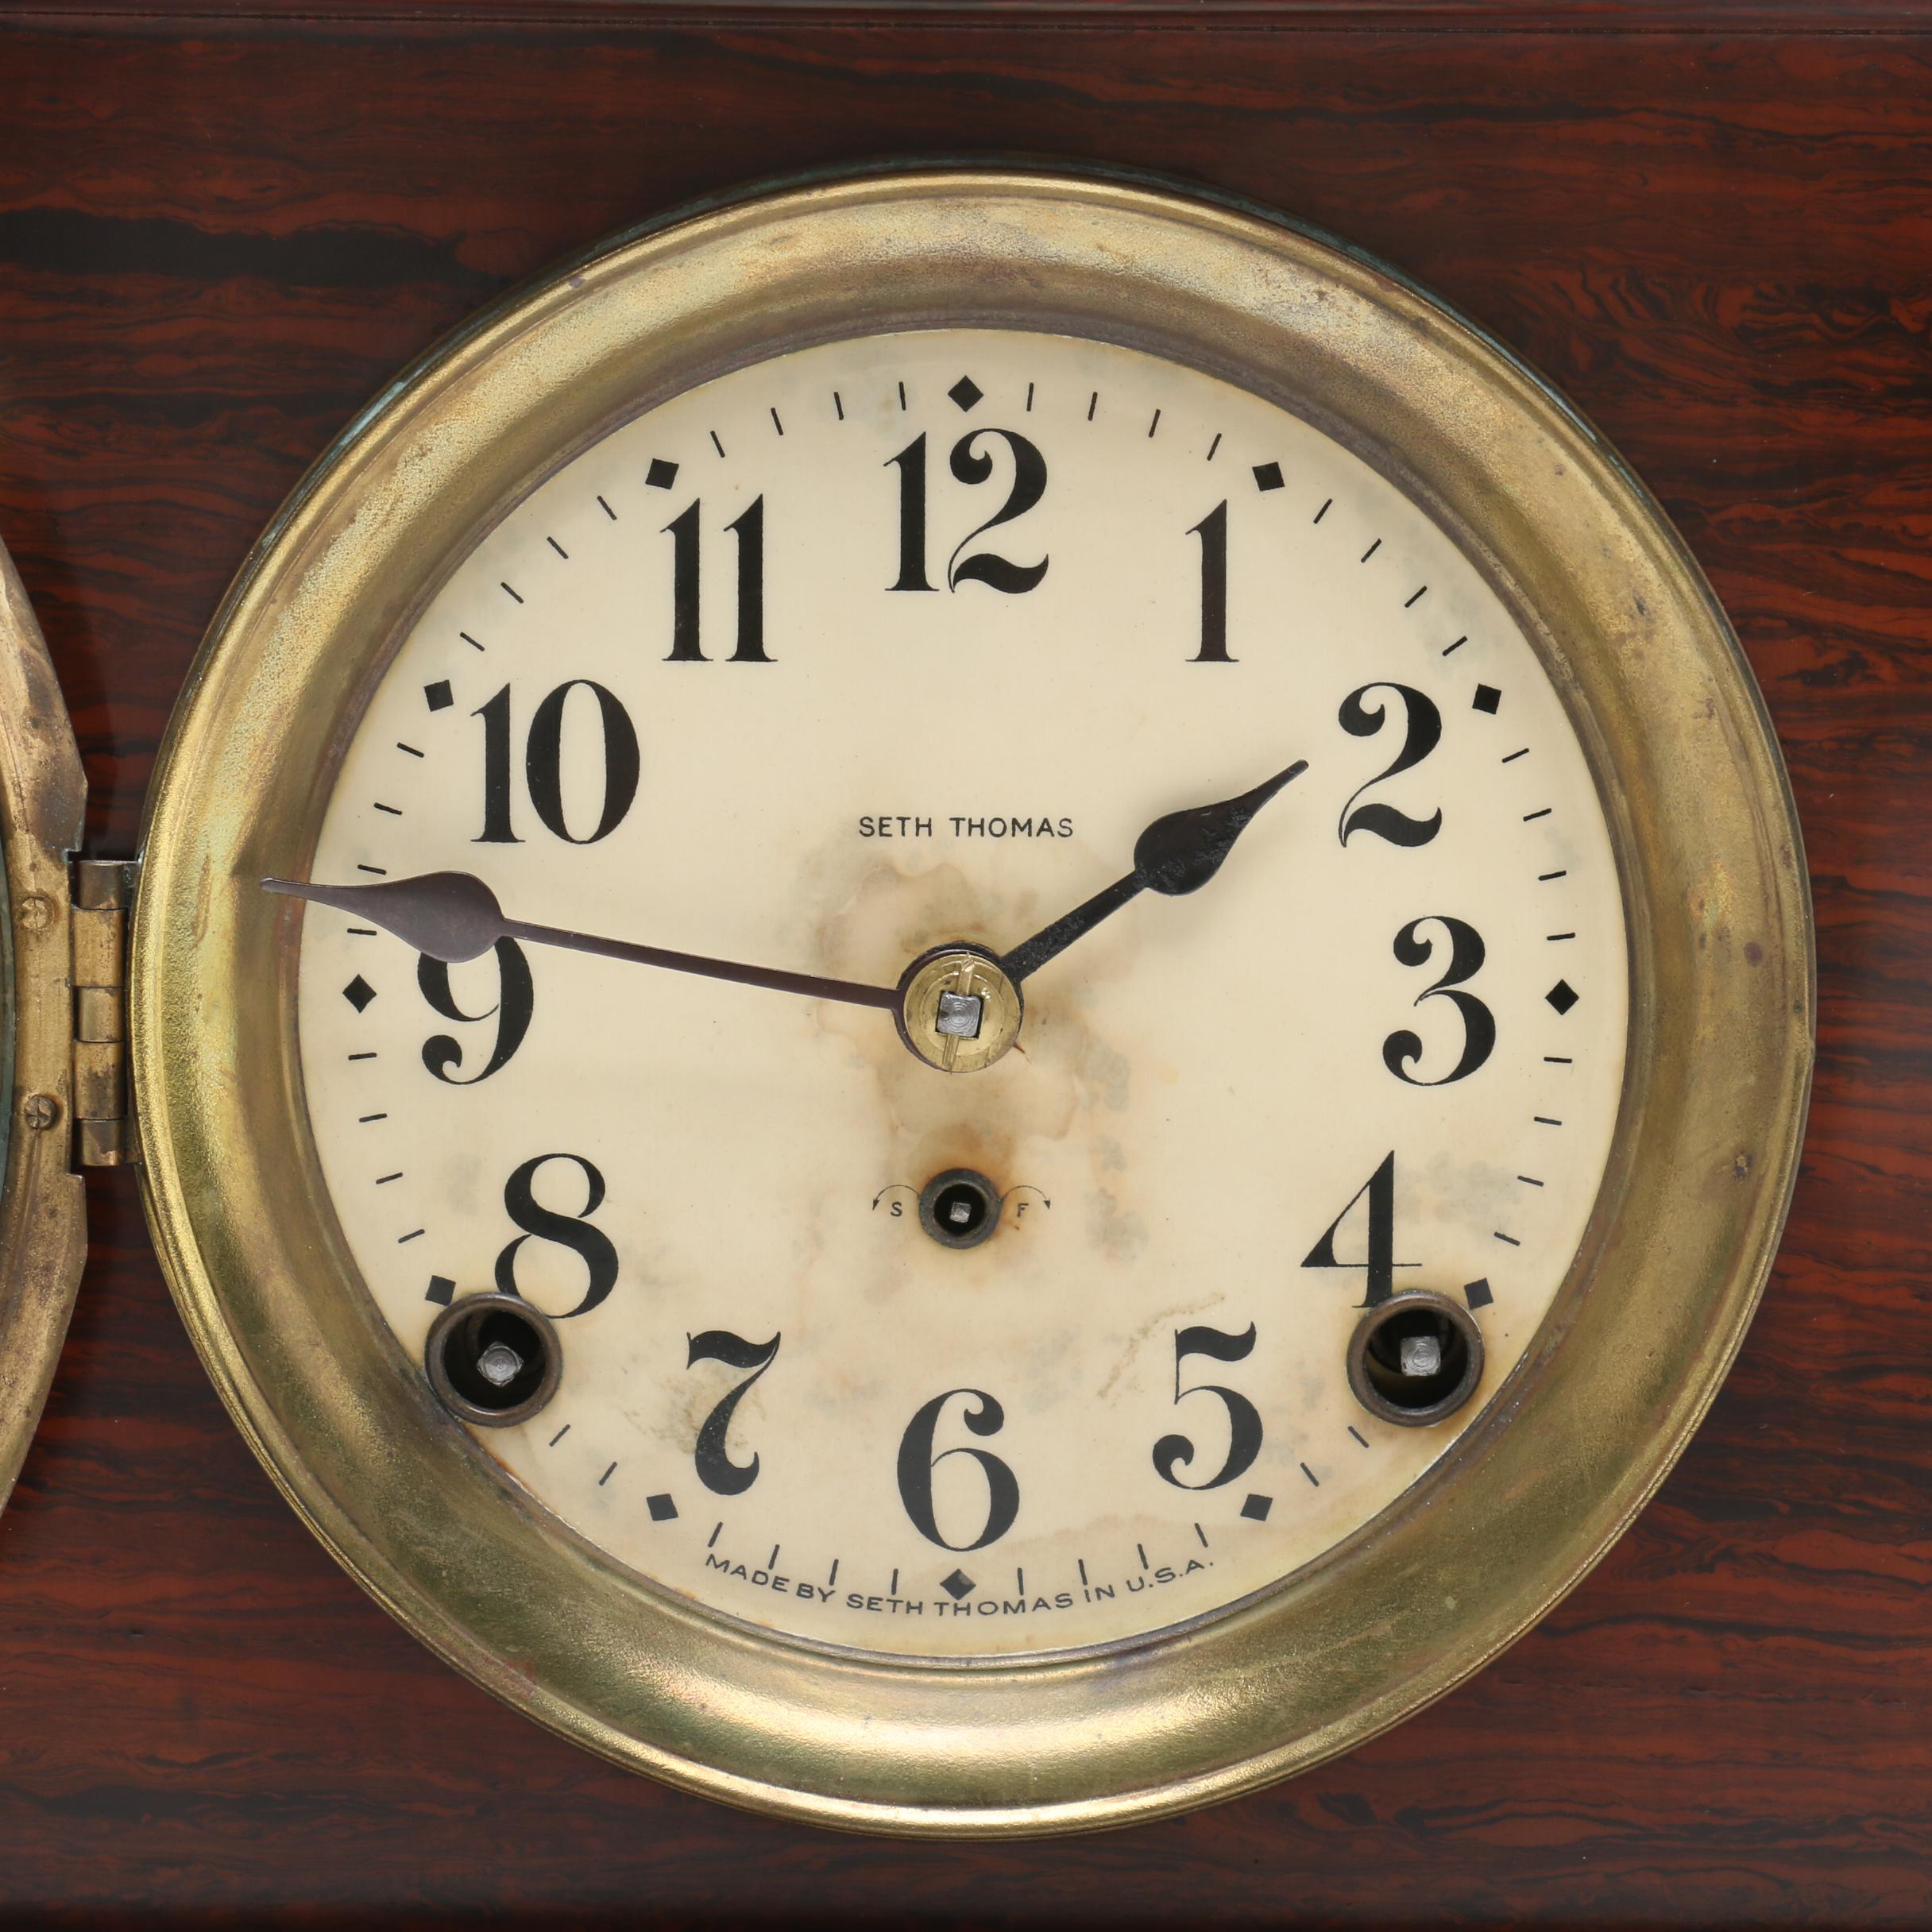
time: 1:46
